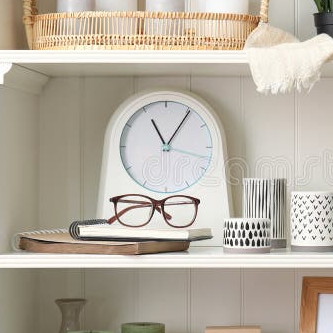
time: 11:05
